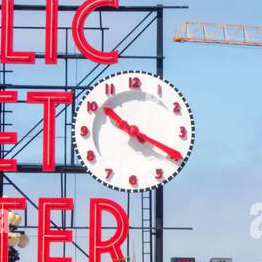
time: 10:19
